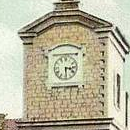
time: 3:29
